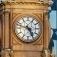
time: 4:47
